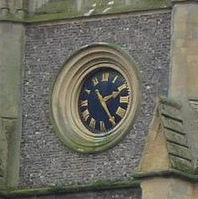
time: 2:24
